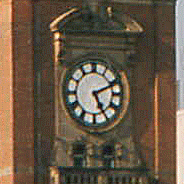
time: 5:11
